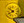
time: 7:52
